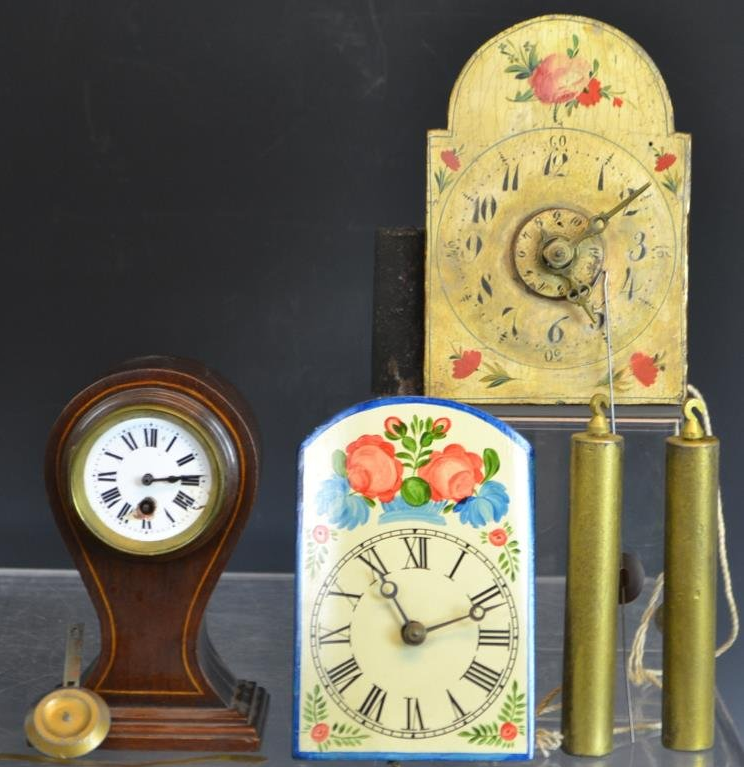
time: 4:09
